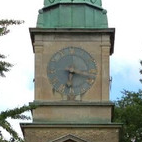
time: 6:17
